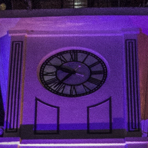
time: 9:36
